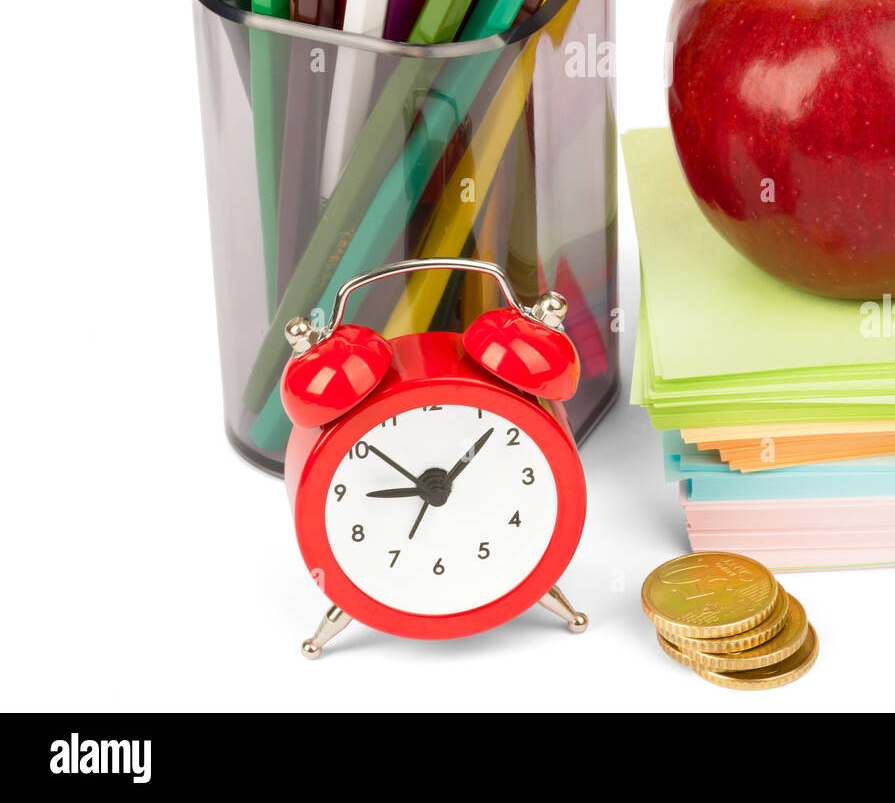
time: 9:08
